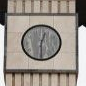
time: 12:30
